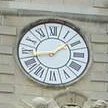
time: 1:43
